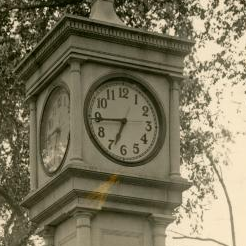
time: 6:44
